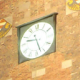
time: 9:27
